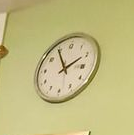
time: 1:54
